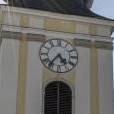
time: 4:36
